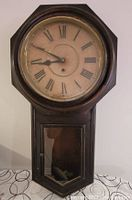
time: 8:49
